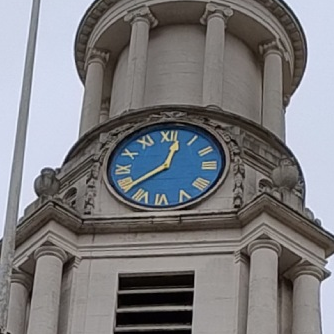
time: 12:38
